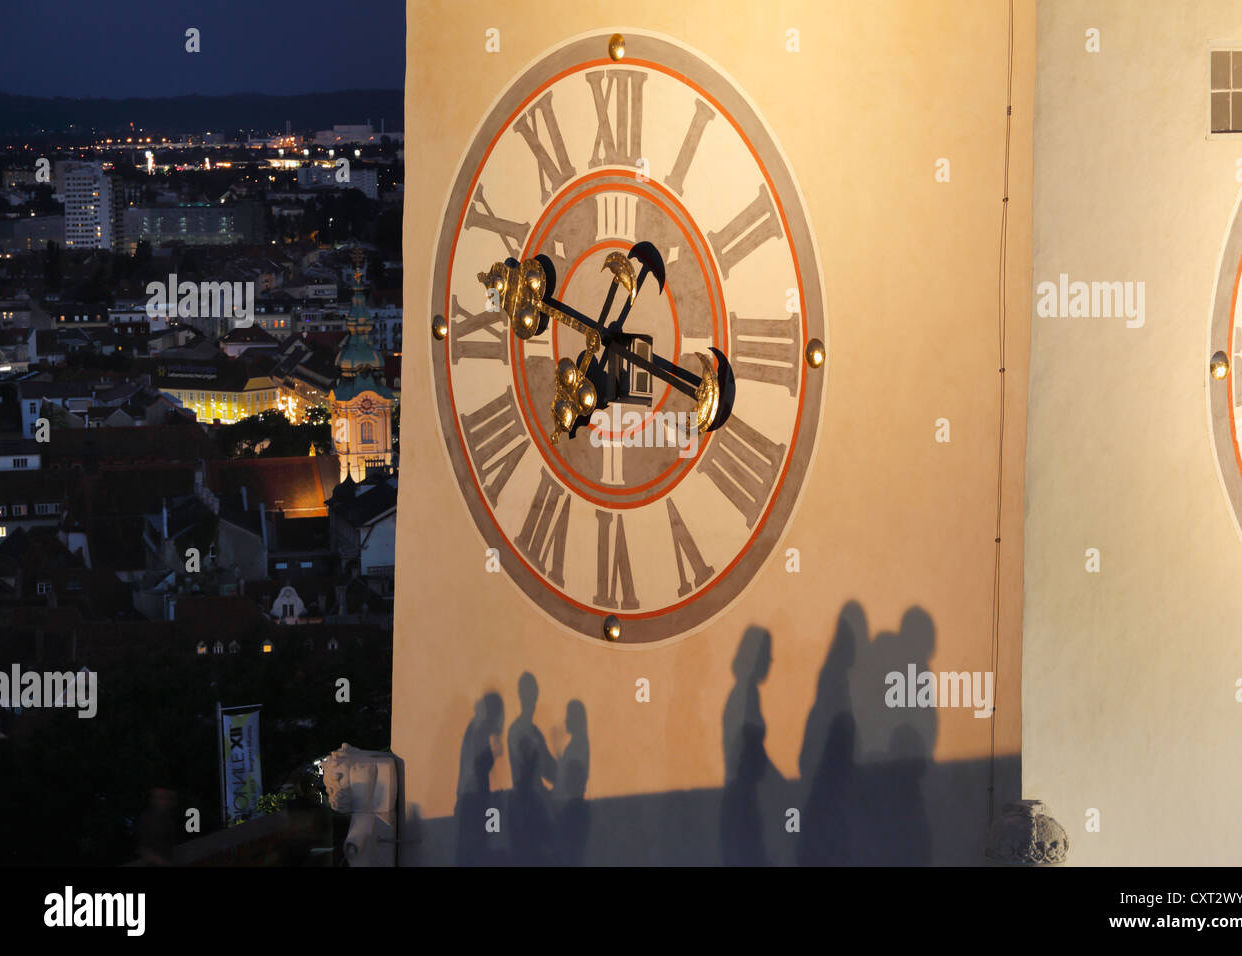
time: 6:47
